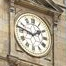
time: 1:47
